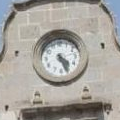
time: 4:26
